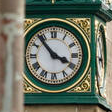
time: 3:53
